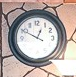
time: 12:49
